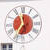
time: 11:35
